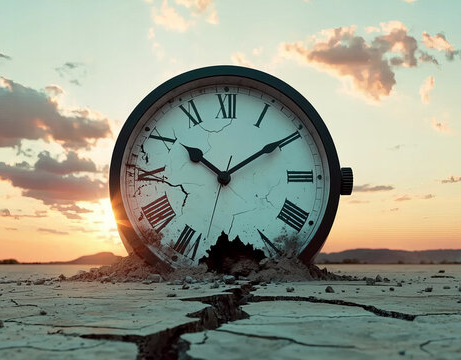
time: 10:09
